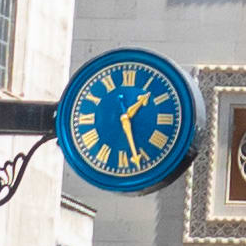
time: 1:26
